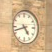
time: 4:42
